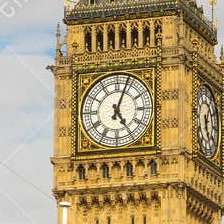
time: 5:03
